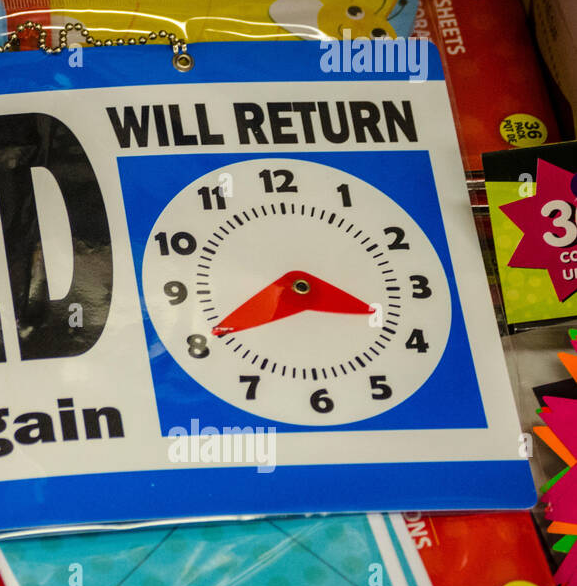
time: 3:40
